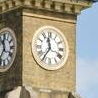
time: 11:35
